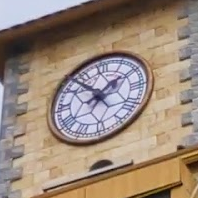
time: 1:52
